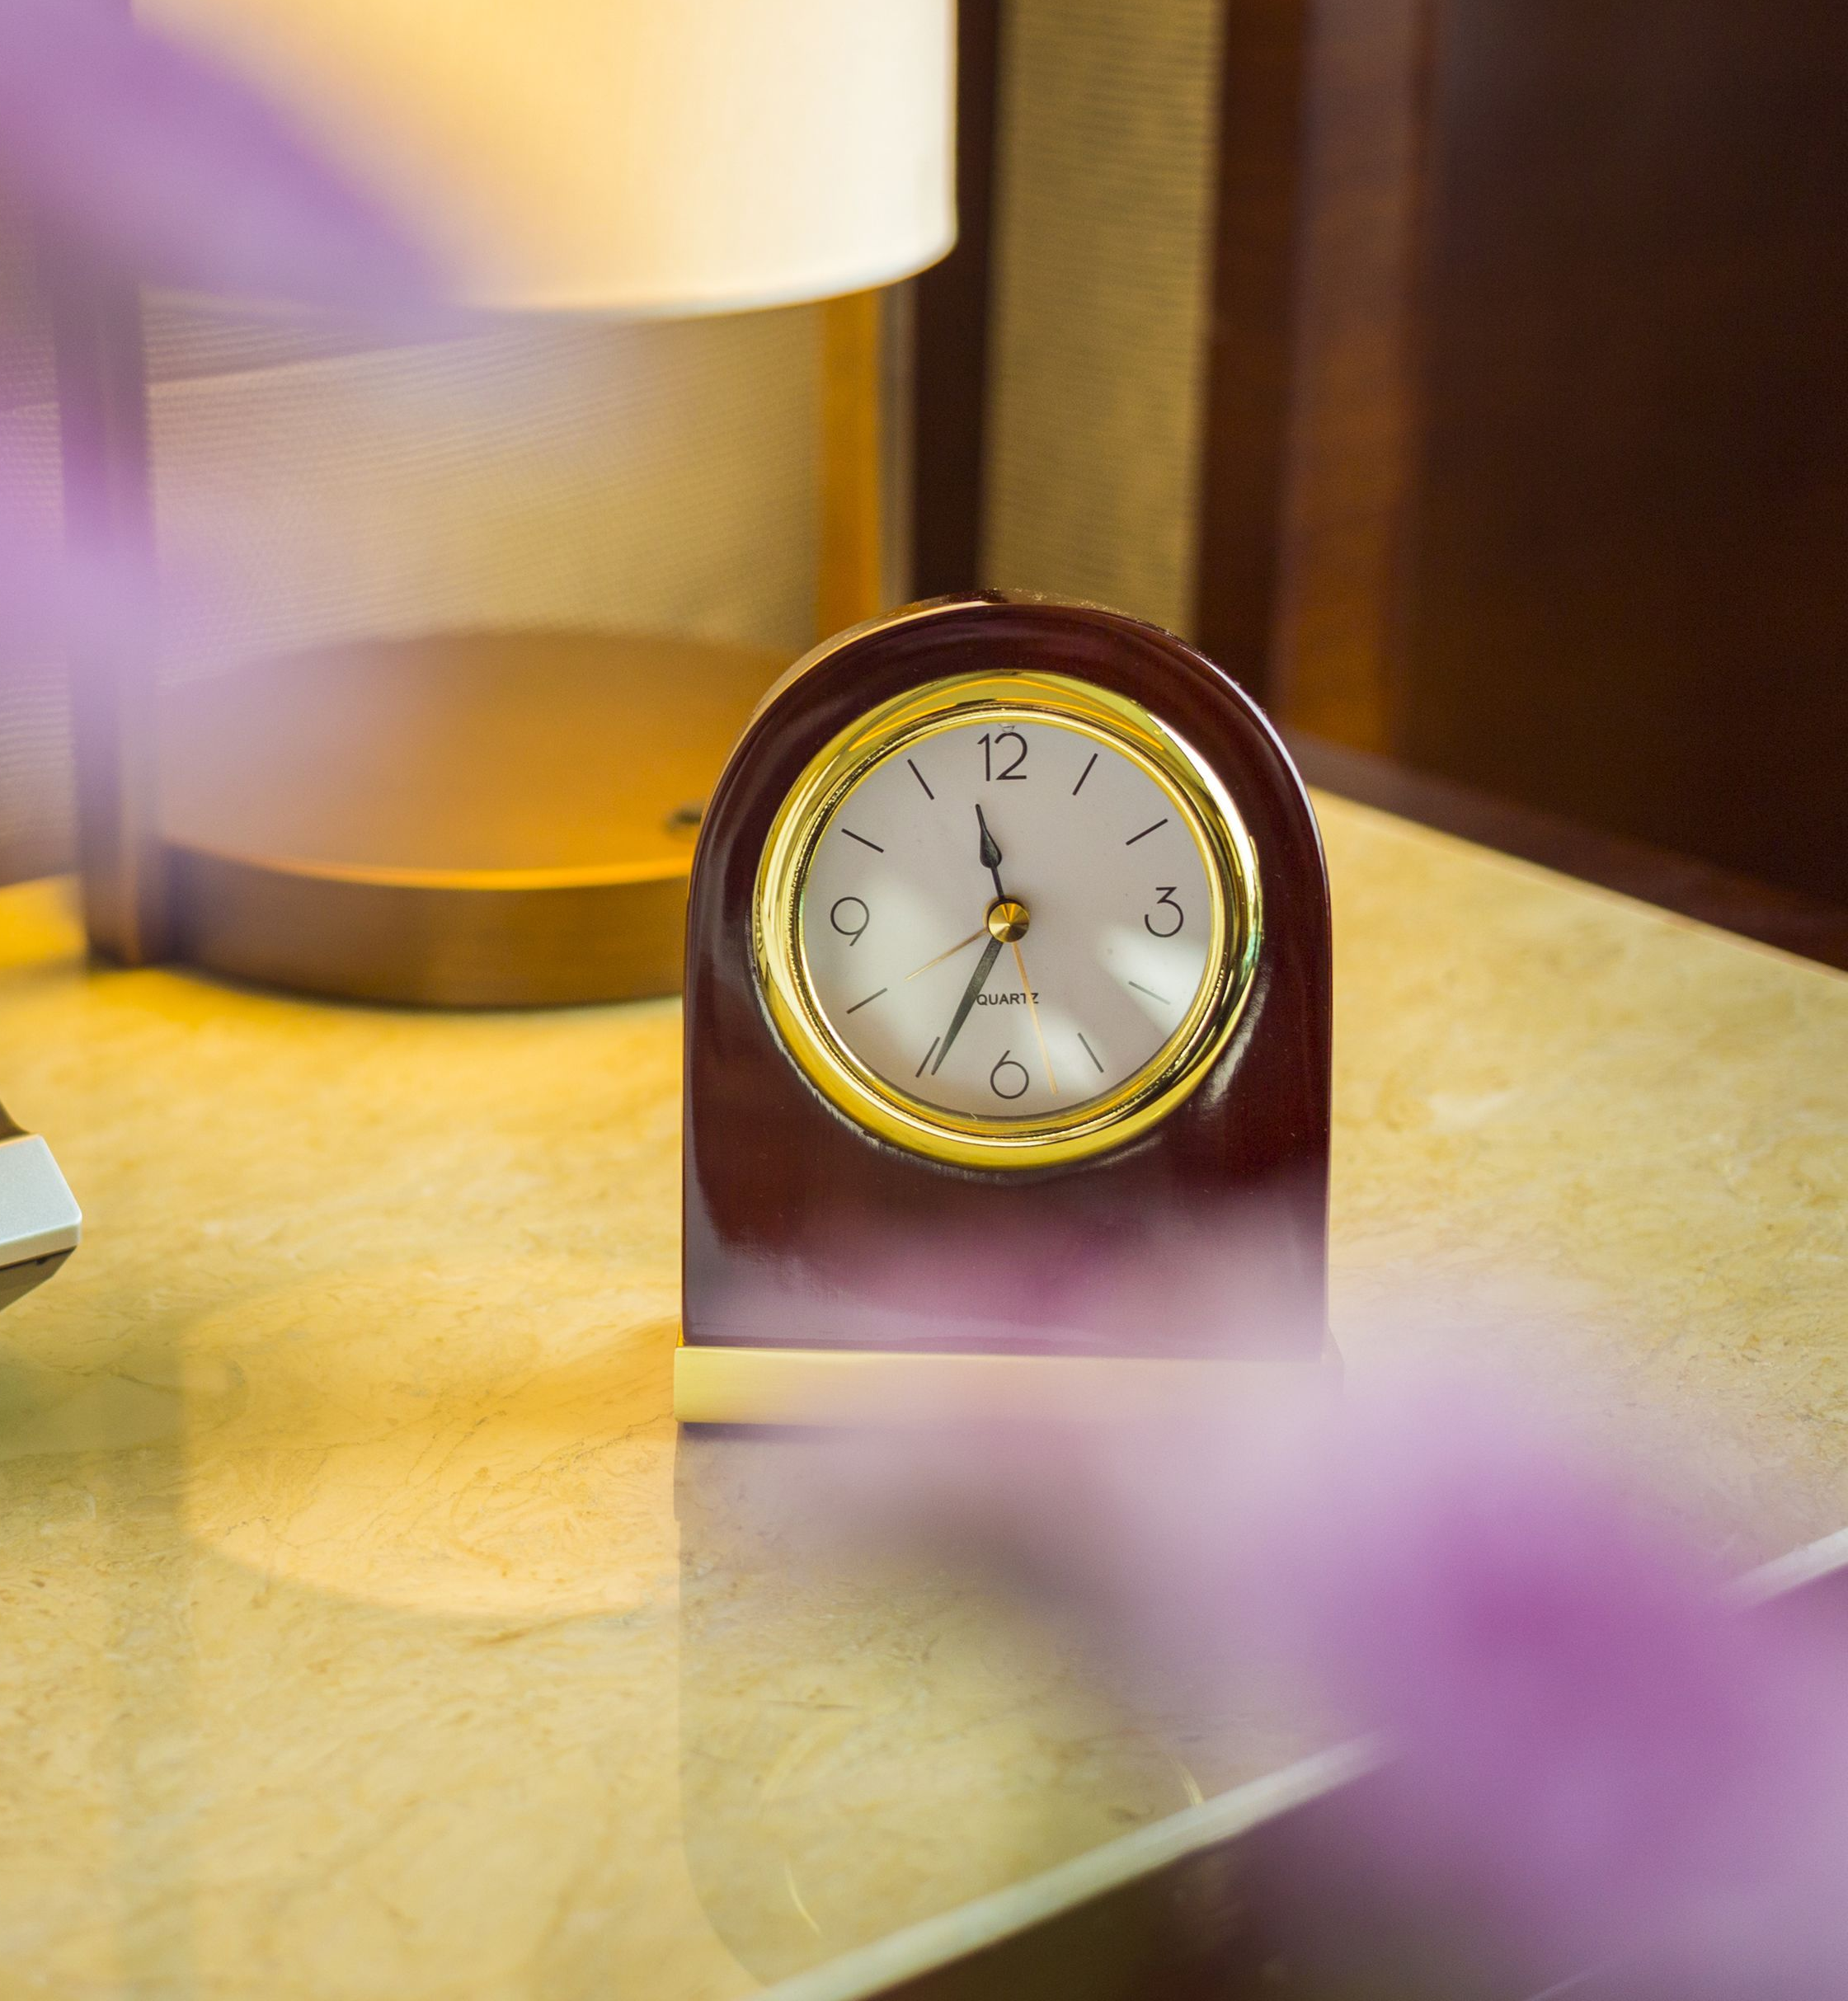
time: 11:34
